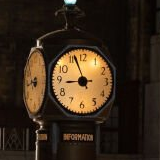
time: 8:56
